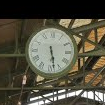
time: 5:28
